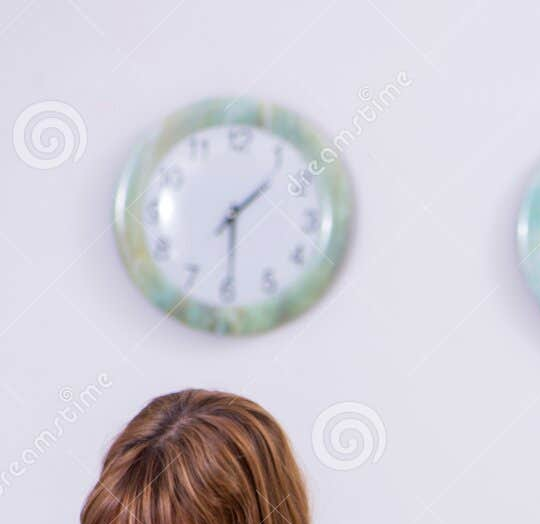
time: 1:29
